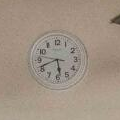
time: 5:41
